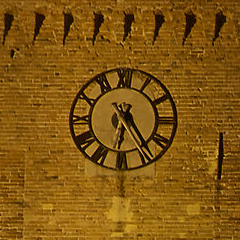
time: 6:24
